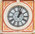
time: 1:02
